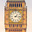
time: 1:16
